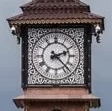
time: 2:23
